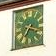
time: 7:17
